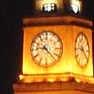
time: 9:22
